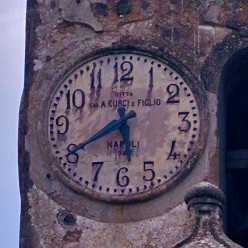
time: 5:40
